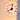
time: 8:02
